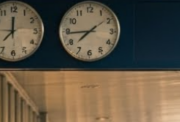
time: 7:44
